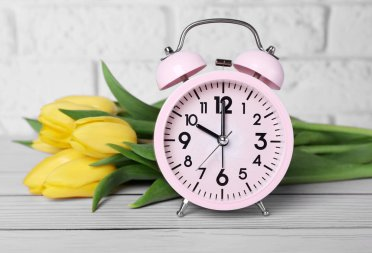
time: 10:00
